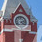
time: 4:12
